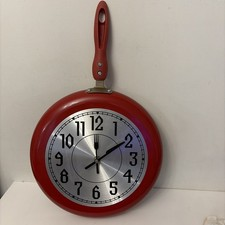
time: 12:09
